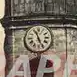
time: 11:26
